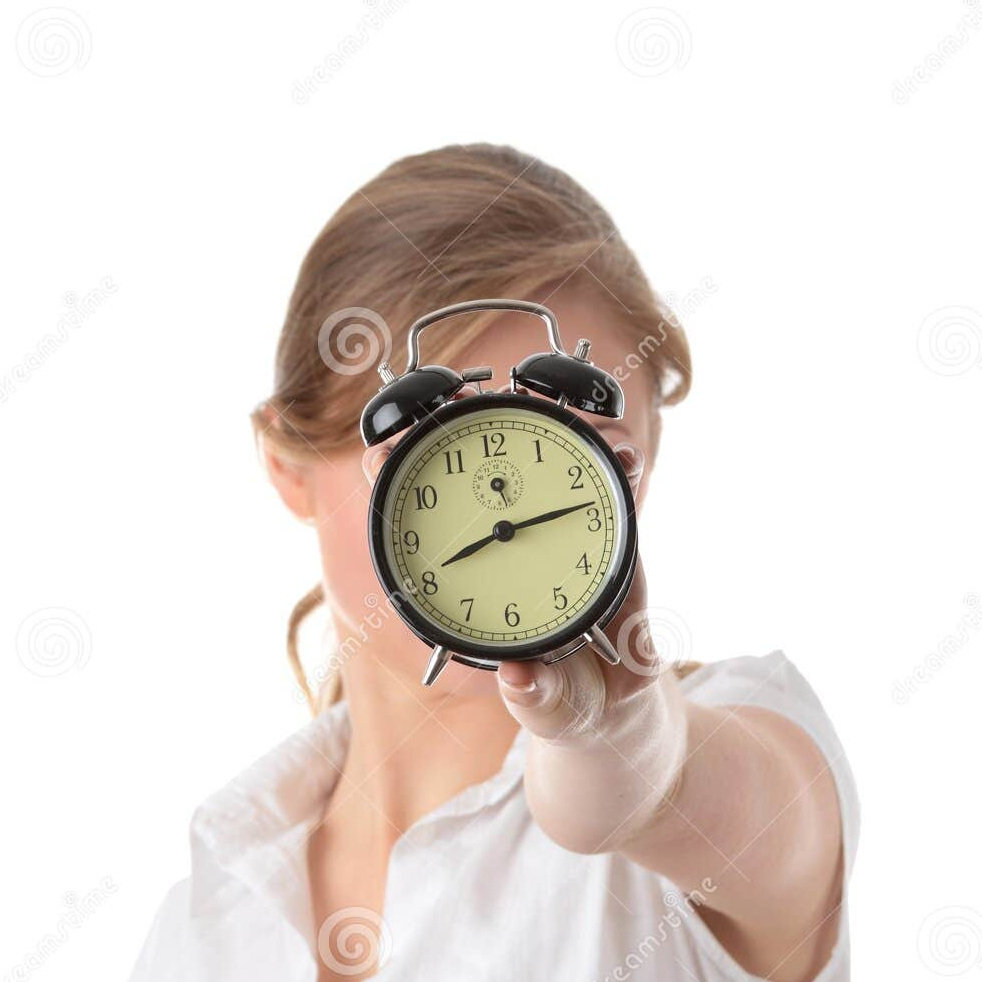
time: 8:13
